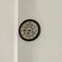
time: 6:45
